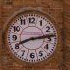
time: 8:13
